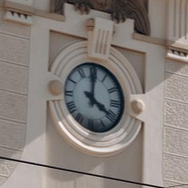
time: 4:00
